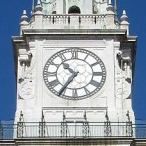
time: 10:35
